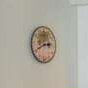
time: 2:40
